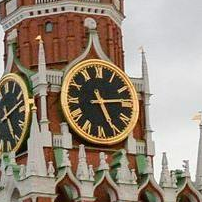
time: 5:14
